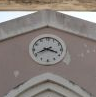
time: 3:41
